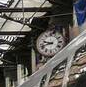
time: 9:42
